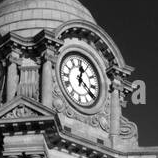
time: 12:20
